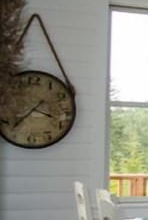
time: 3:37
